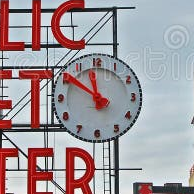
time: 11:50
